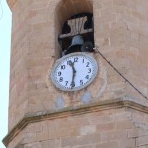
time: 11:30
